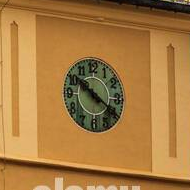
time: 10:20
